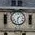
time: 1:32
